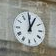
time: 12:59
